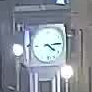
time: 4:13
